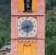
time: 8:29
